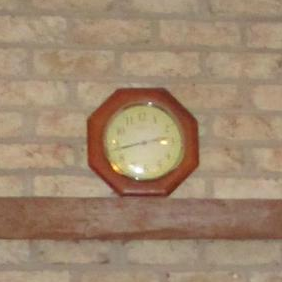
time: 2:42
